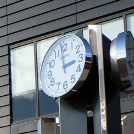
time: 2:58
